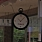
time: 10:07
